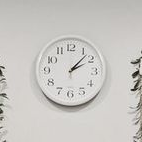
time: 2:07
